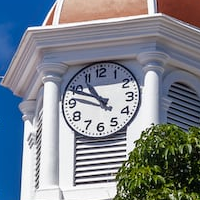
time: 10:48
